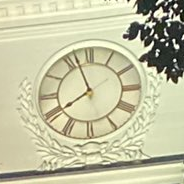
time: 7:56
